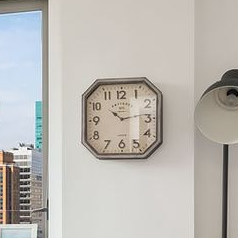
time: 10:13
